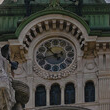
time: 10:42
